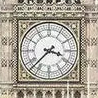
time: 3:37
